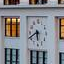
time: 5:40
